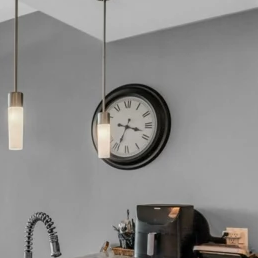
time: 3:34
